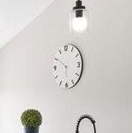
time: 5:50
